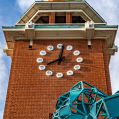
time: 8:01
